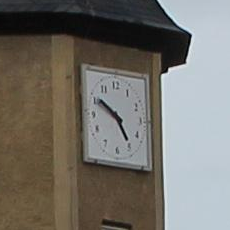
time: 4:50
